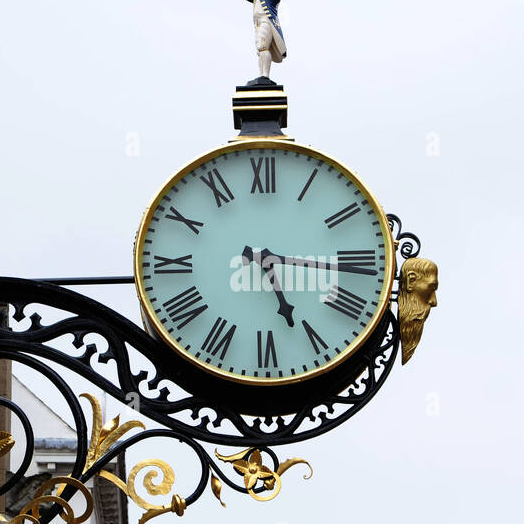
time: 5:15
